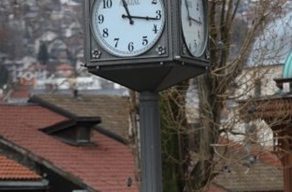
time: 11:16
